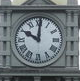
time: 10:00
